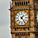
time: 1:24
